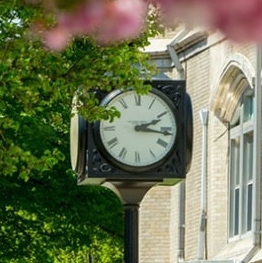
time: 2:16
